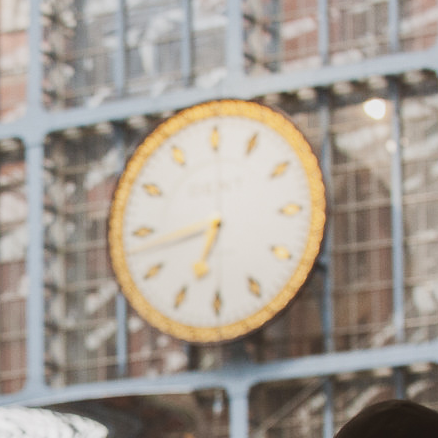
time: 6:43
